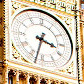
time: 3:32
